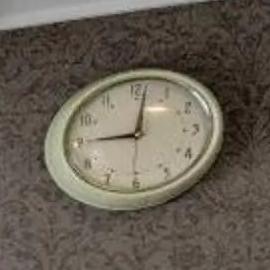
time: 9:01
